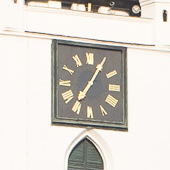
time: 7:05
